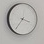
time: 3:36
